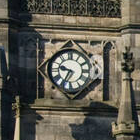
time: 9:34
